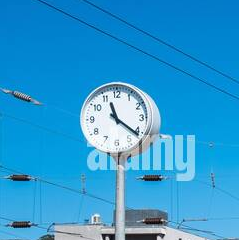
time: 11:21
